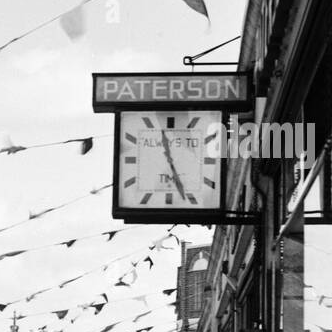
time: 11:26
